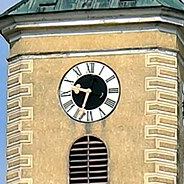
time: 9:33
